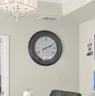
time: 2:11
